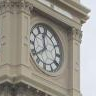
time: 11:38
